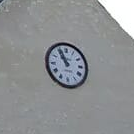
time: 10:56
